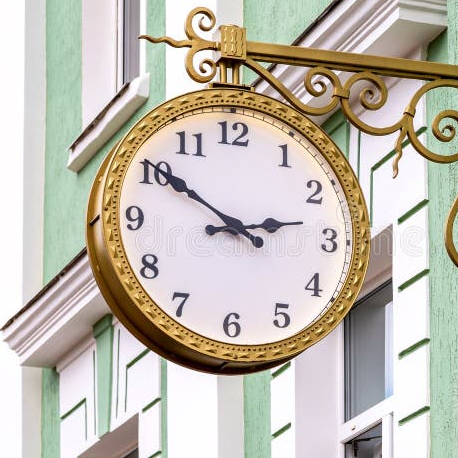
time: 2:50
